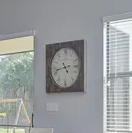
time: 4:42
